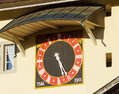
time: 5:24
